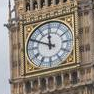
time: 11:49
